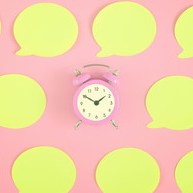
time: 1:50
